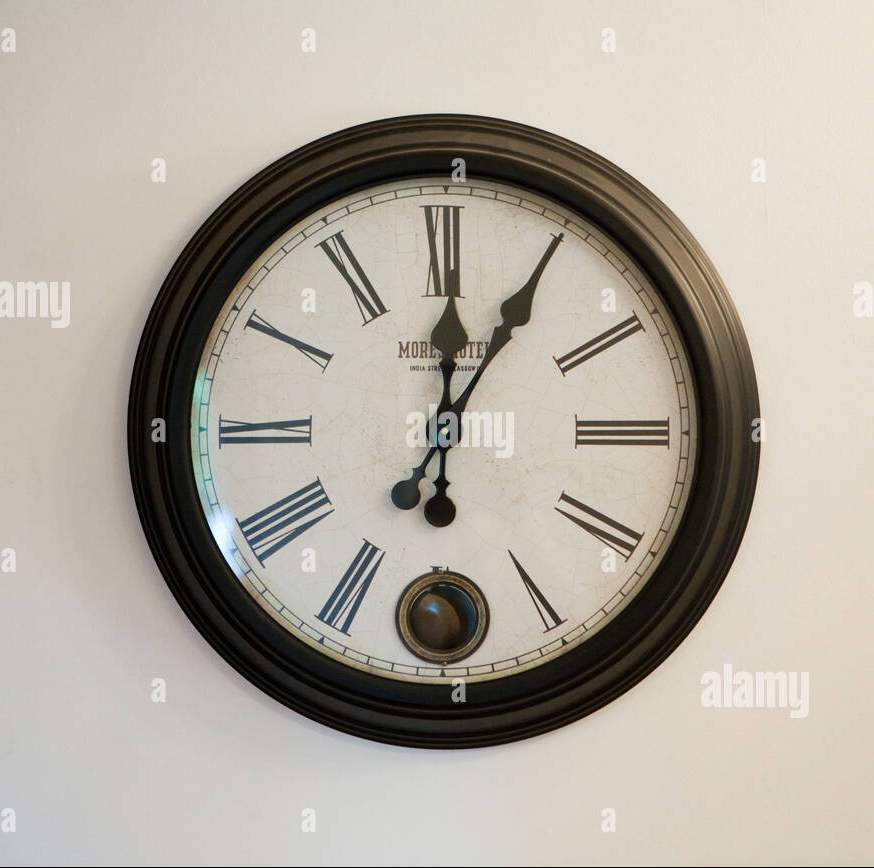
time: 12:05
